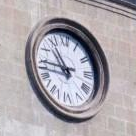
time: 10:45
